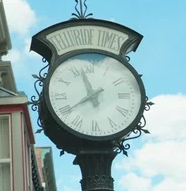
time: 7:57
